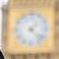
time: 1:22
